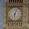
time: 6:03
